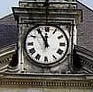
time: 11:55
